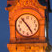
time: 4:53
